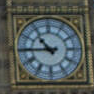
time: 10:45
